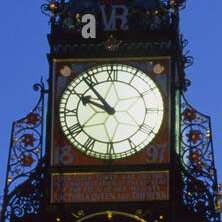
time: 9:53
